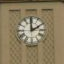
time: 1:59
